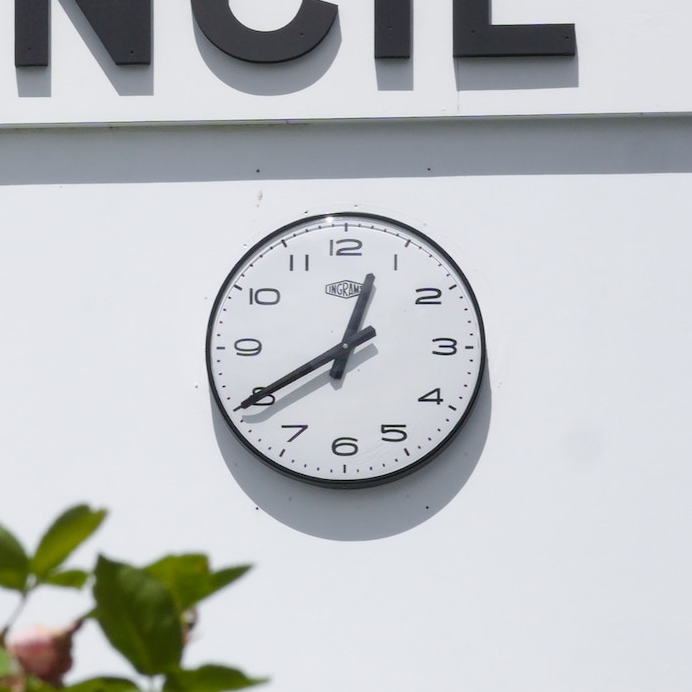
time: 12:40
